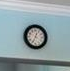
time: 12:34
